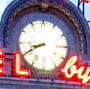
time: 8:40
